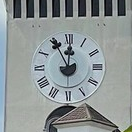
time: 11:55
